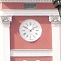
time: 1:50
